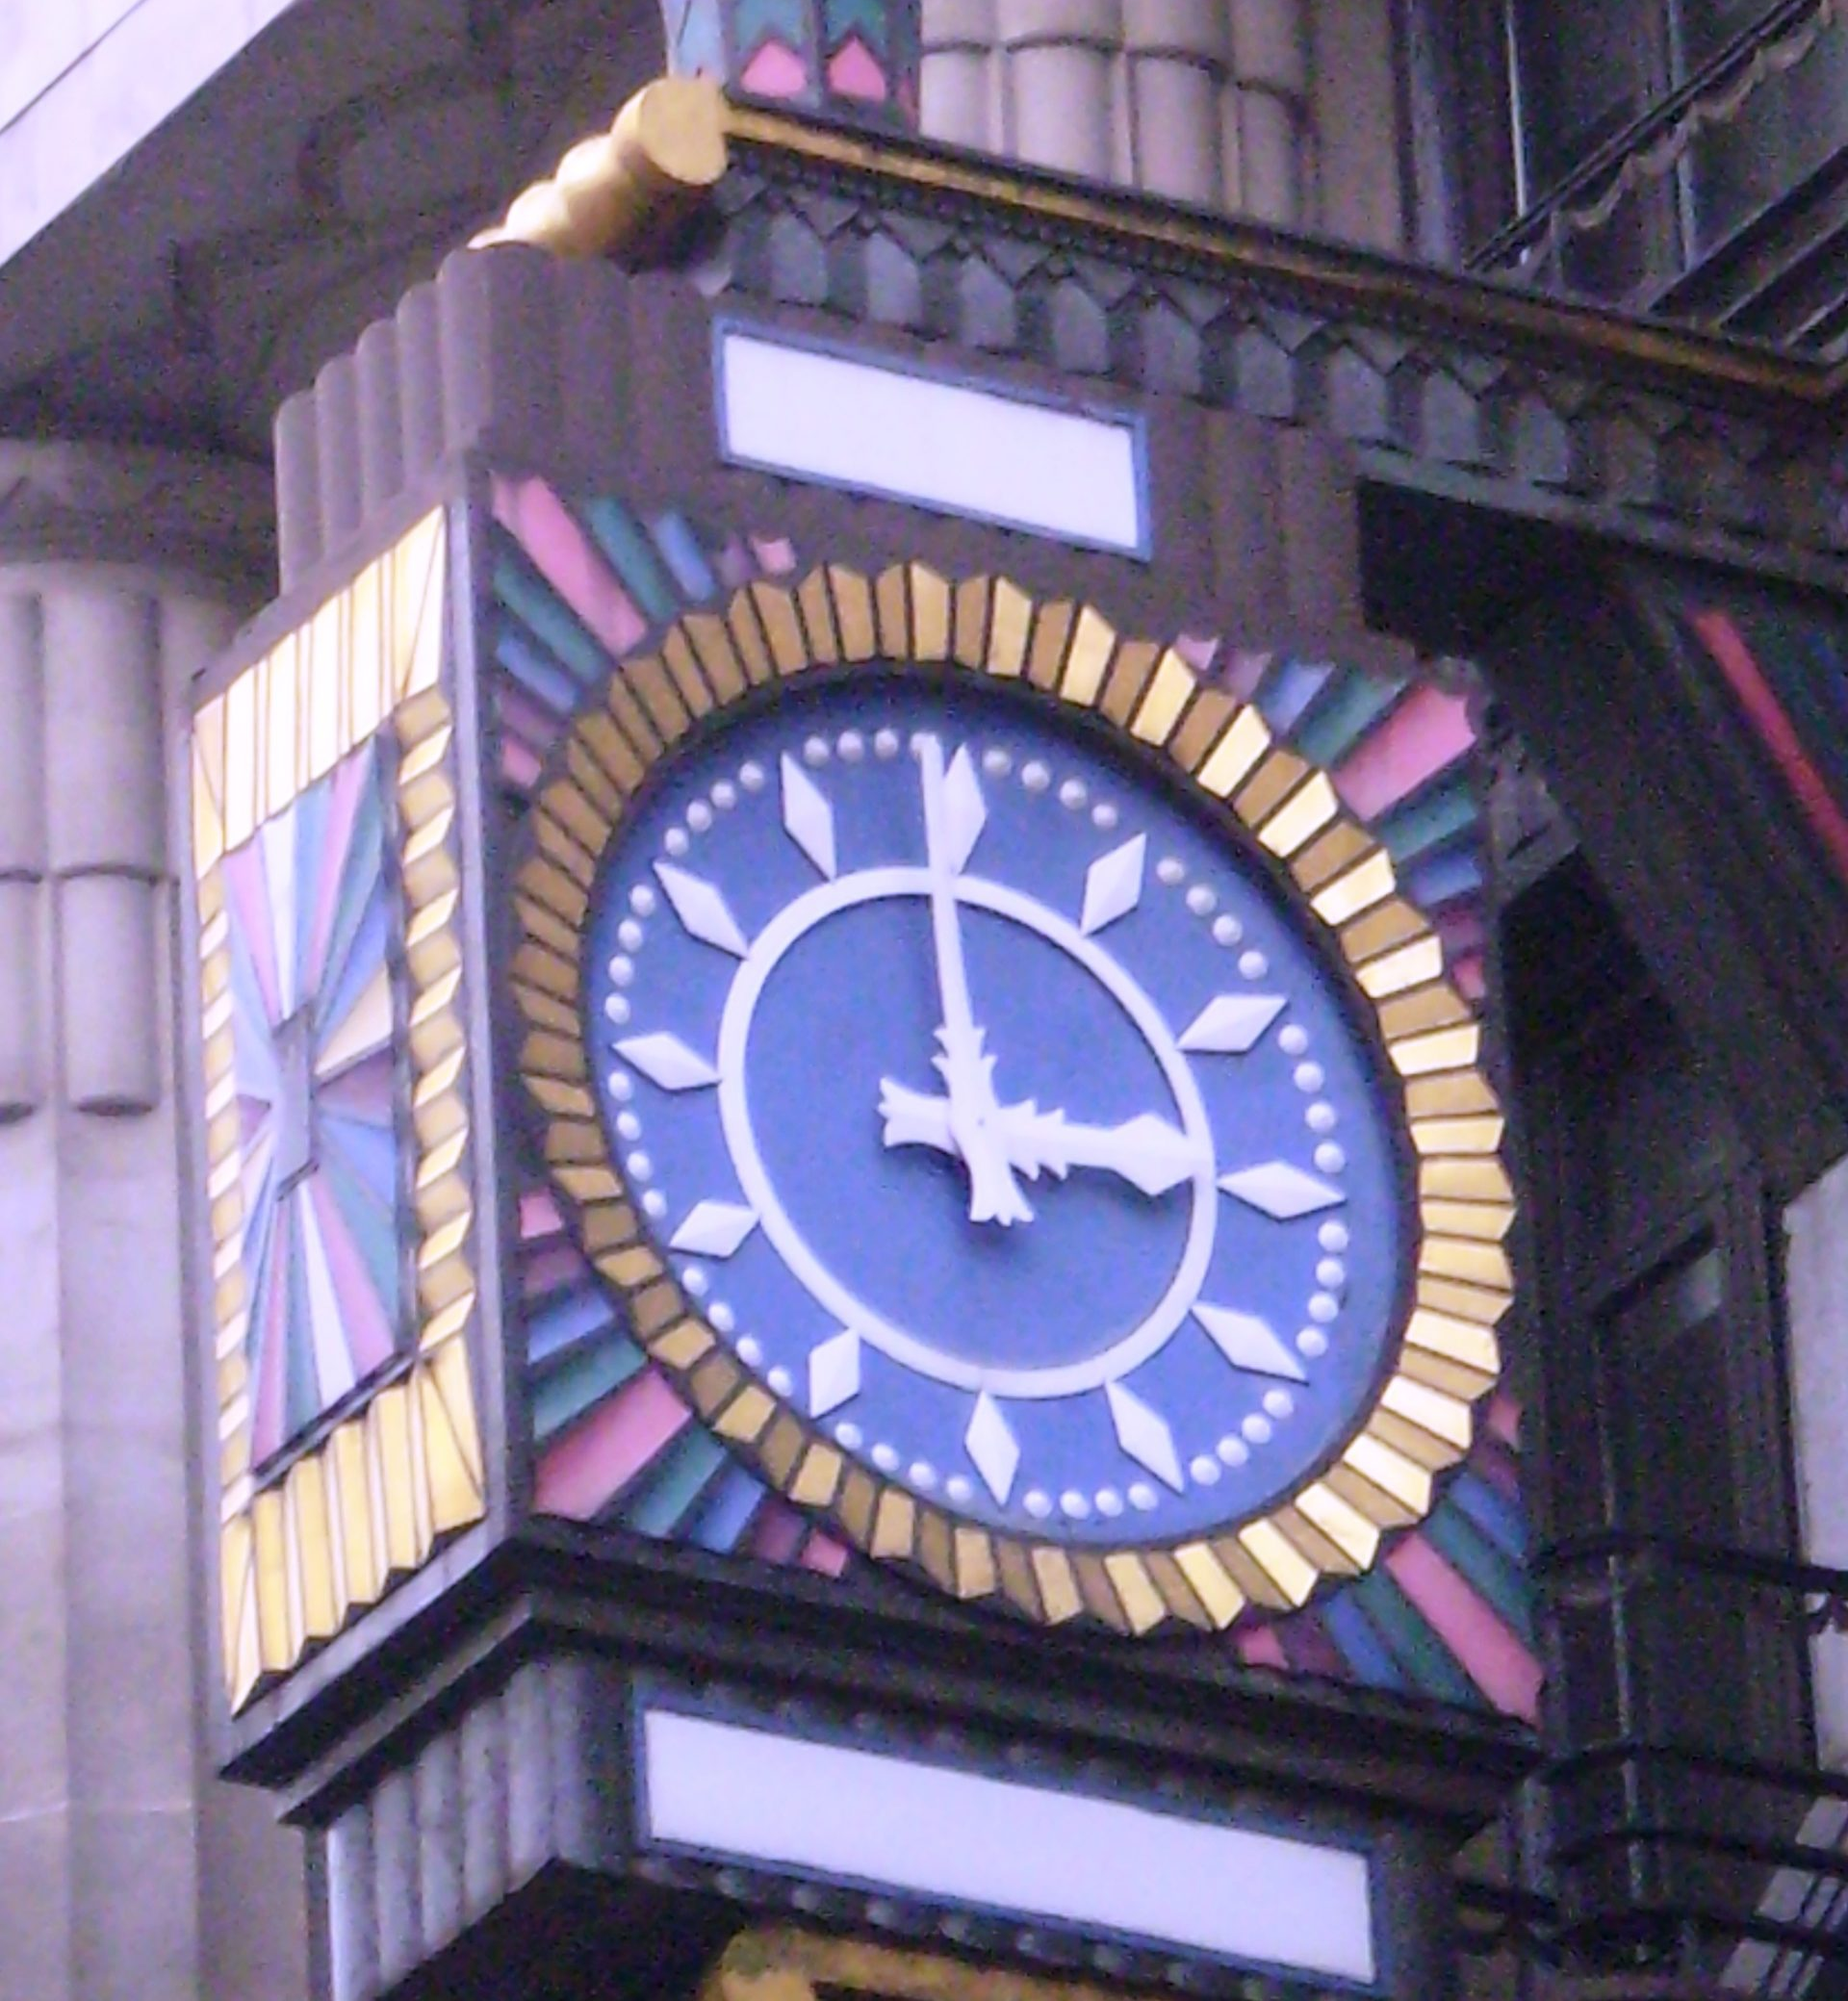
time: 2:59
